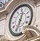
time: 12:33
